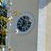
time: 11:36
